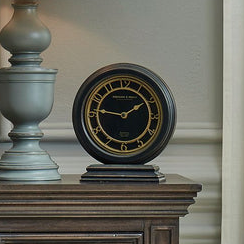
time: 1:46
